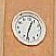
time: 12:32
